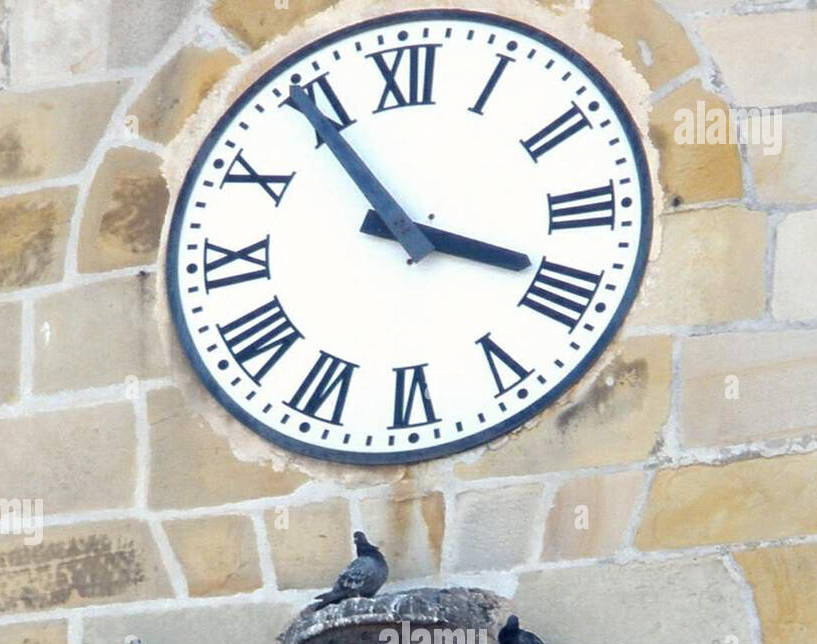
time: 3:54
